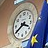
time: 3:39
